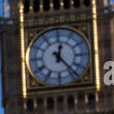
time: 12:23
